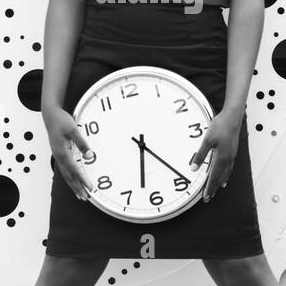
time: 6:23
